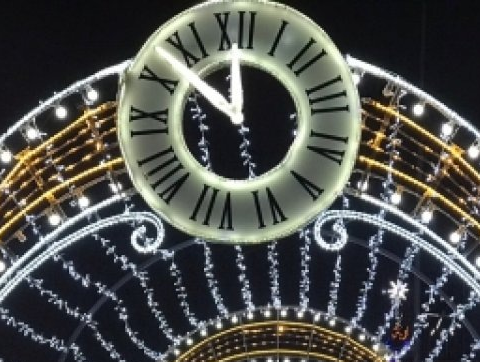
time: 11:52
